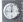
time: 9:01
